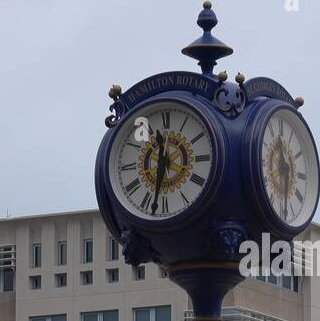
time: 11:32
